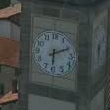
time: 6:10
